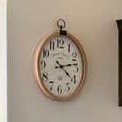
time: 4:13
